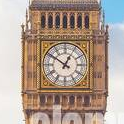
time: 12:51
